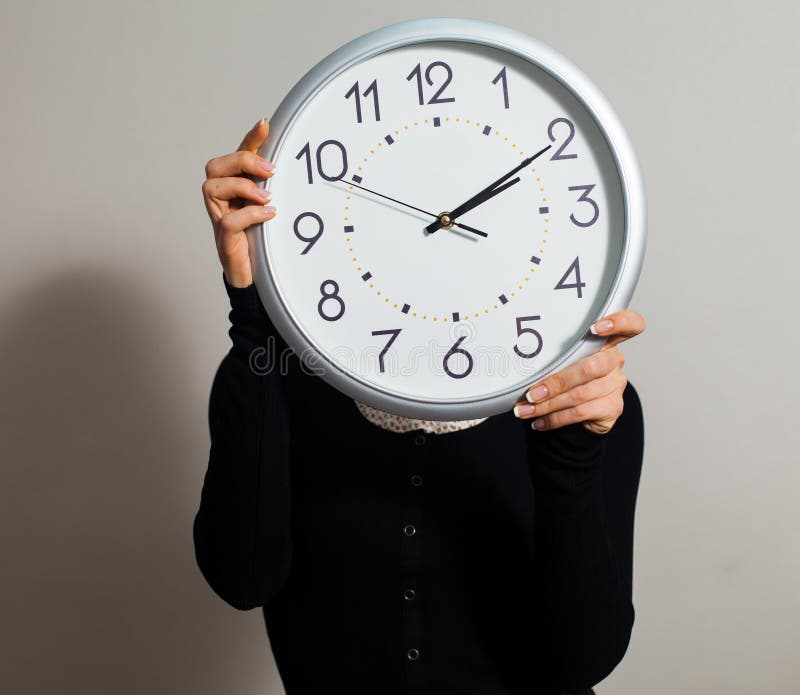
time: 2:09
